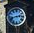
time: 2:42
